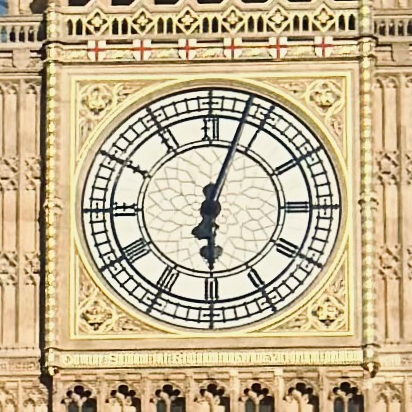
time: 6:03
